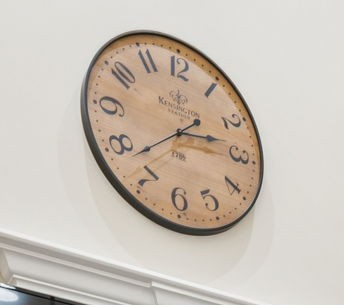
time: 2:38
